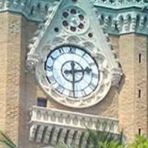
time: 2:29
